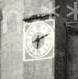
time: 6:11
